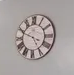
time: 4:48
